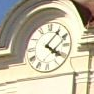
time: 4:06
